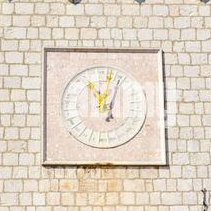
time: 11:02
